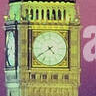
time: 4:39
